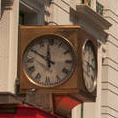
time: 11:49
